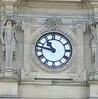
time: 10:47
